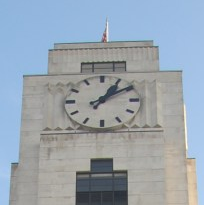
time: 1:09
